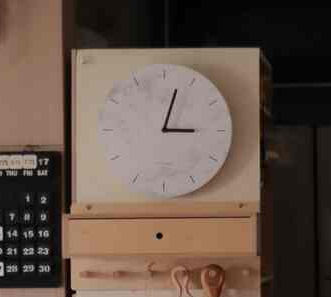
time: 3:02
